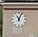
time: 11:03
